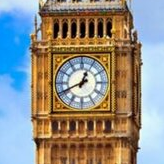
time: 12:41
